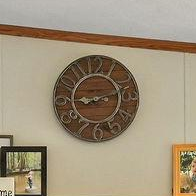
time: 9:12
